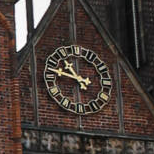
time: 10:47
